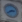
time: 2:40
